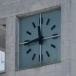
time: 11:43
